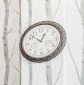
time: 12:52
